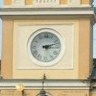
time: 3:12
